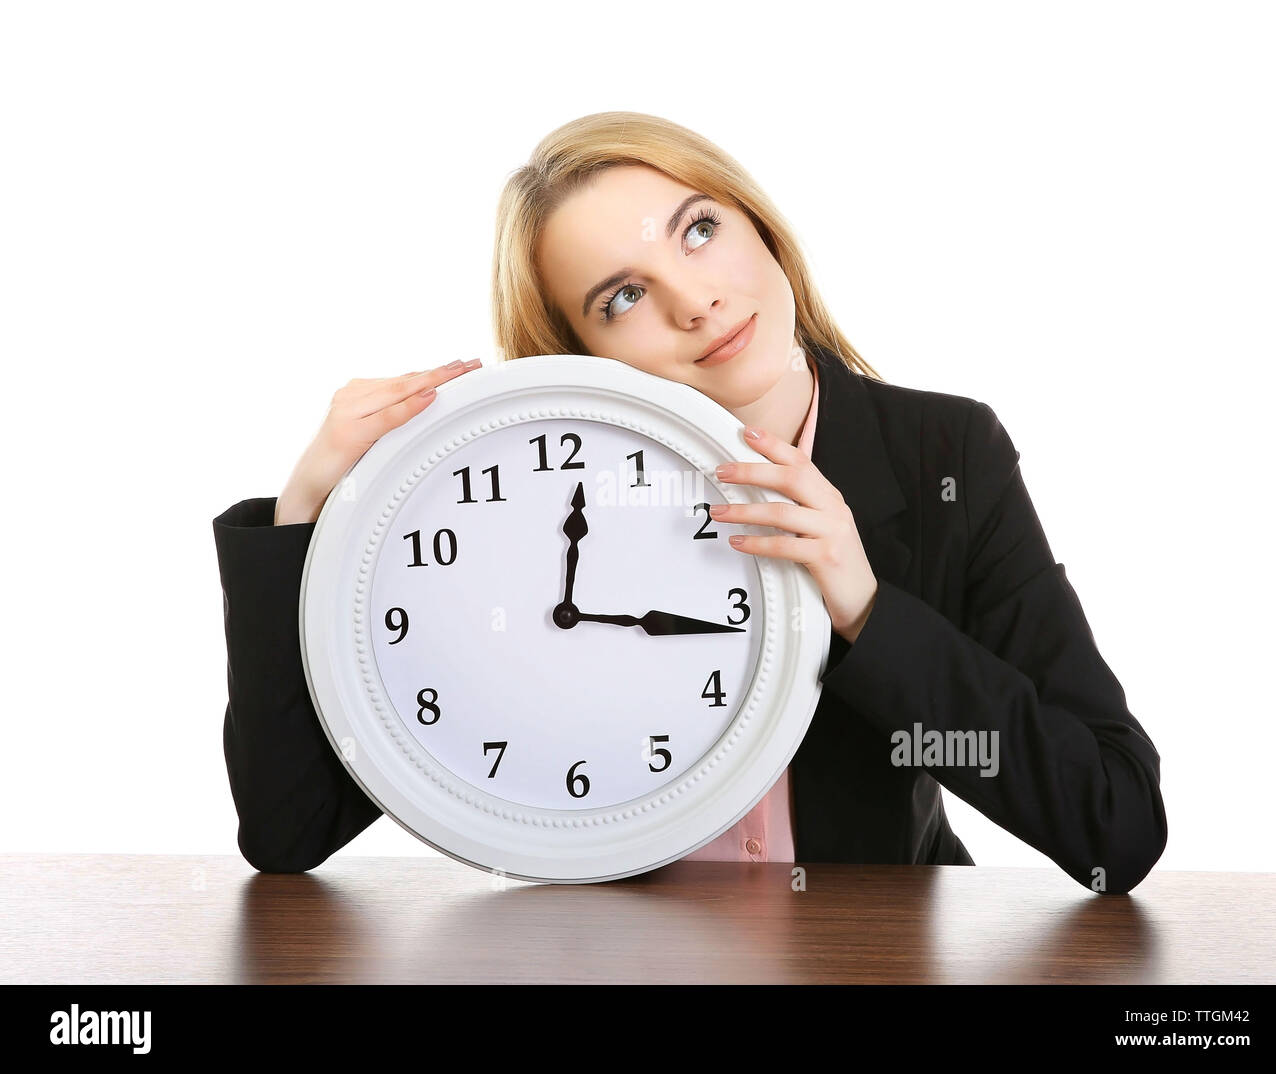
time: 12:16
